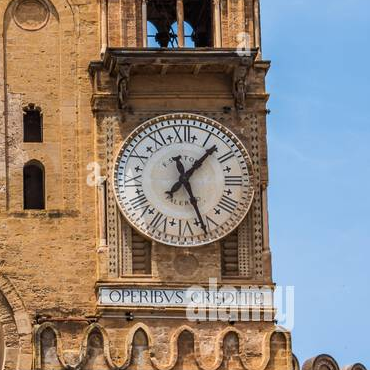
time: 1:26
